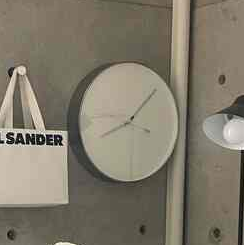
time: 8:07
